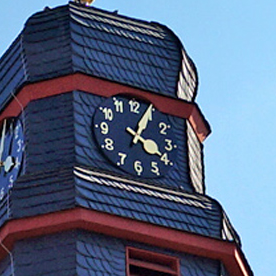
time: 4:04
